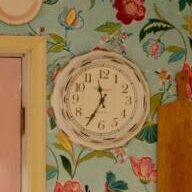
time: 11:34
